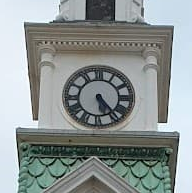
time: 5:23
